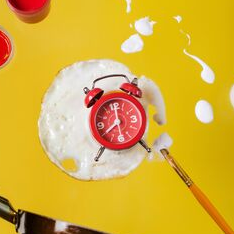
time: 8:00
